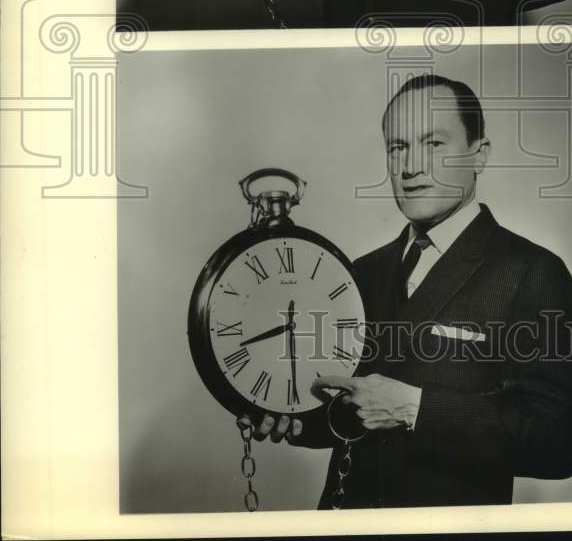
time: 8:29
